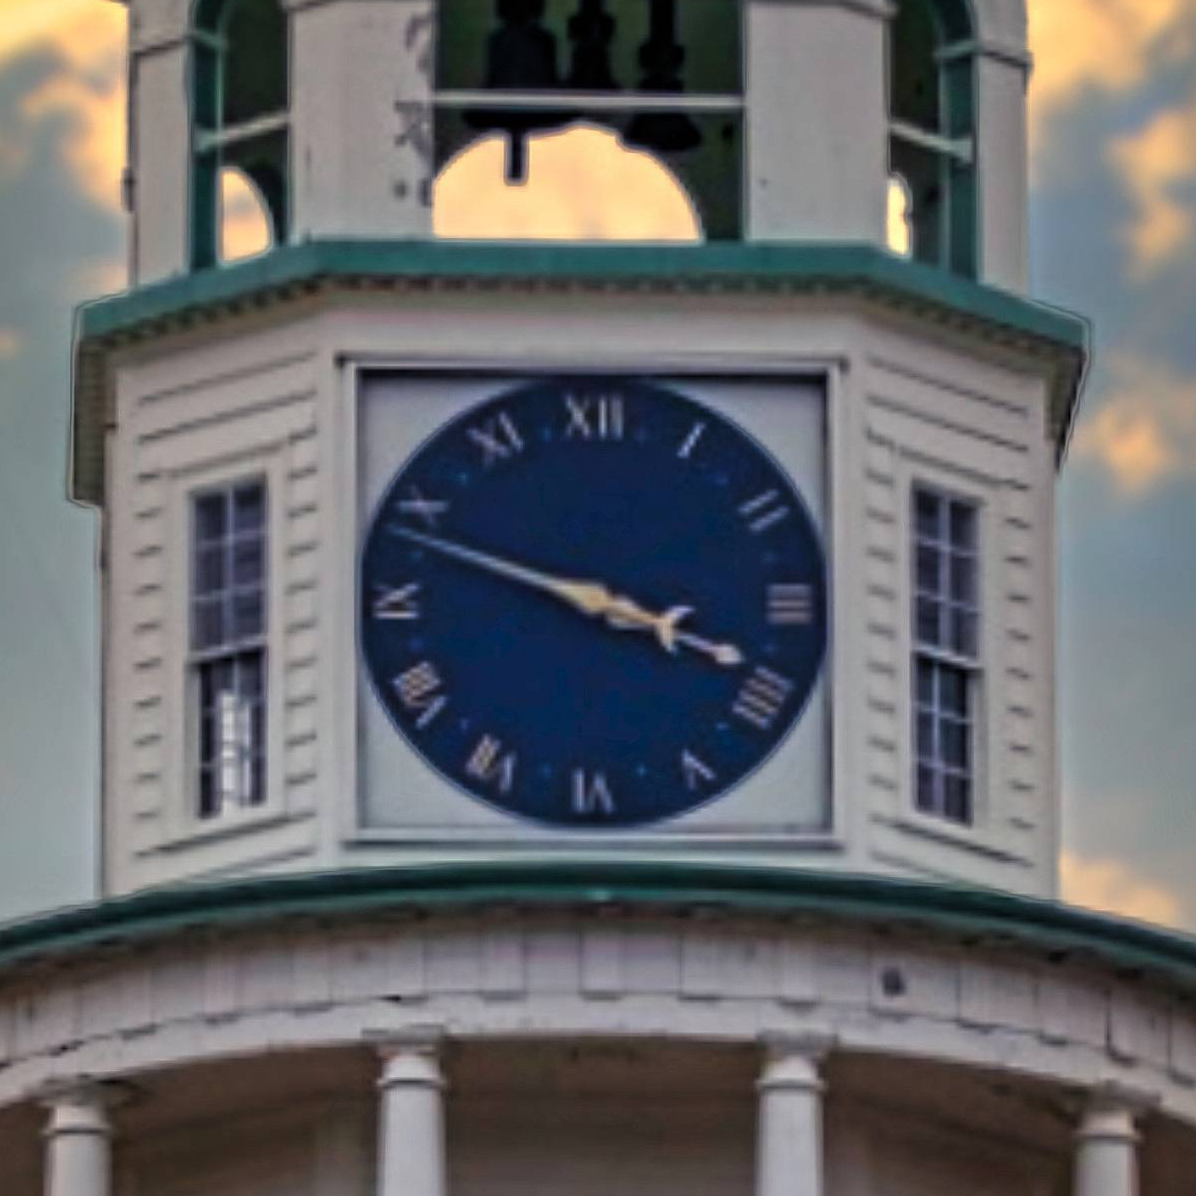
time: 3:48
